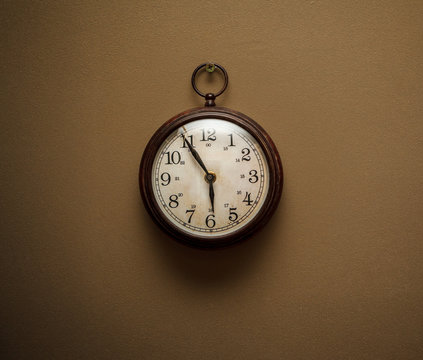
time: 5:54
